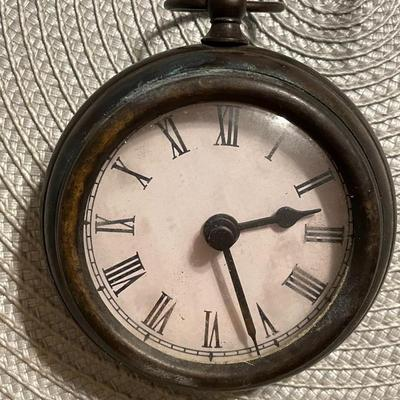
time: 2:26
